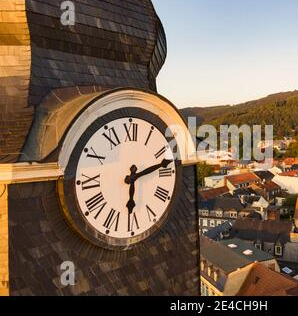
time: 6:12
